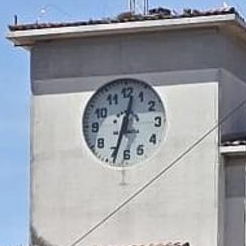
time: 12:33
